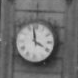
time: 3:58
